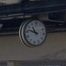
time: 10:47
